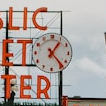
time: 1:23
